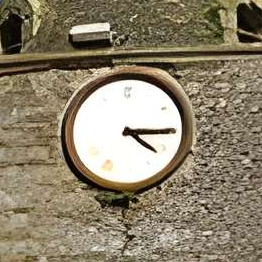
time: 4:15
